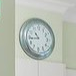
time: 10:43
